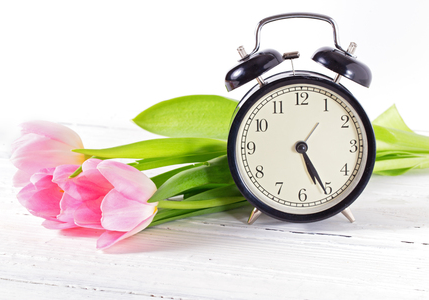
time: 5:25
